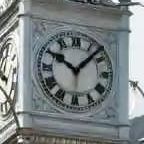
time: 10:07
